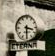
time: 3:30
